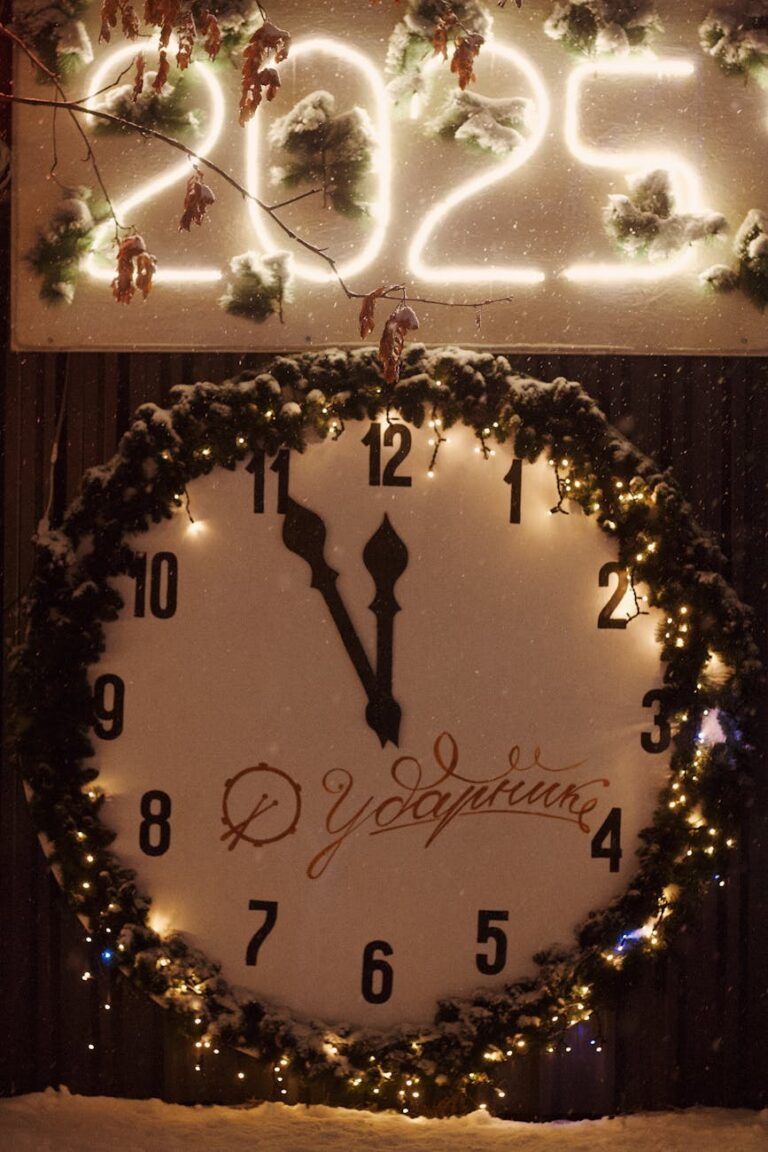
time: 11:55
